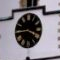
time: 3:44
